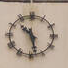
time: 10:28
